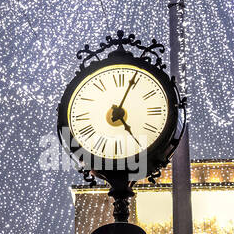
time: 5:04
